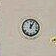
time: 12:05
